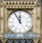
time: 11:55
